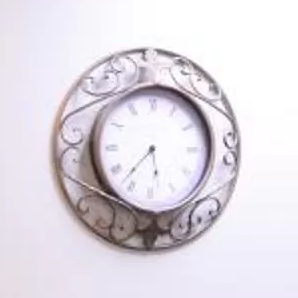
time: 5:36
